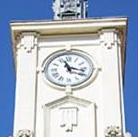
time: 11:17
